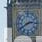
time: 2:40
